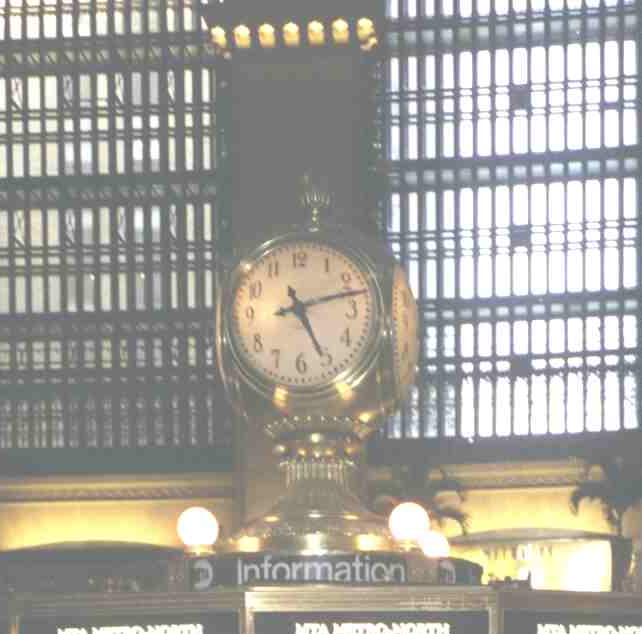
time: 5:12
